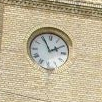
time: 1:55
